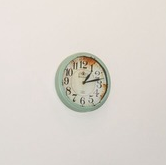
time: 1:12
